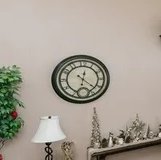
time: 12:21
